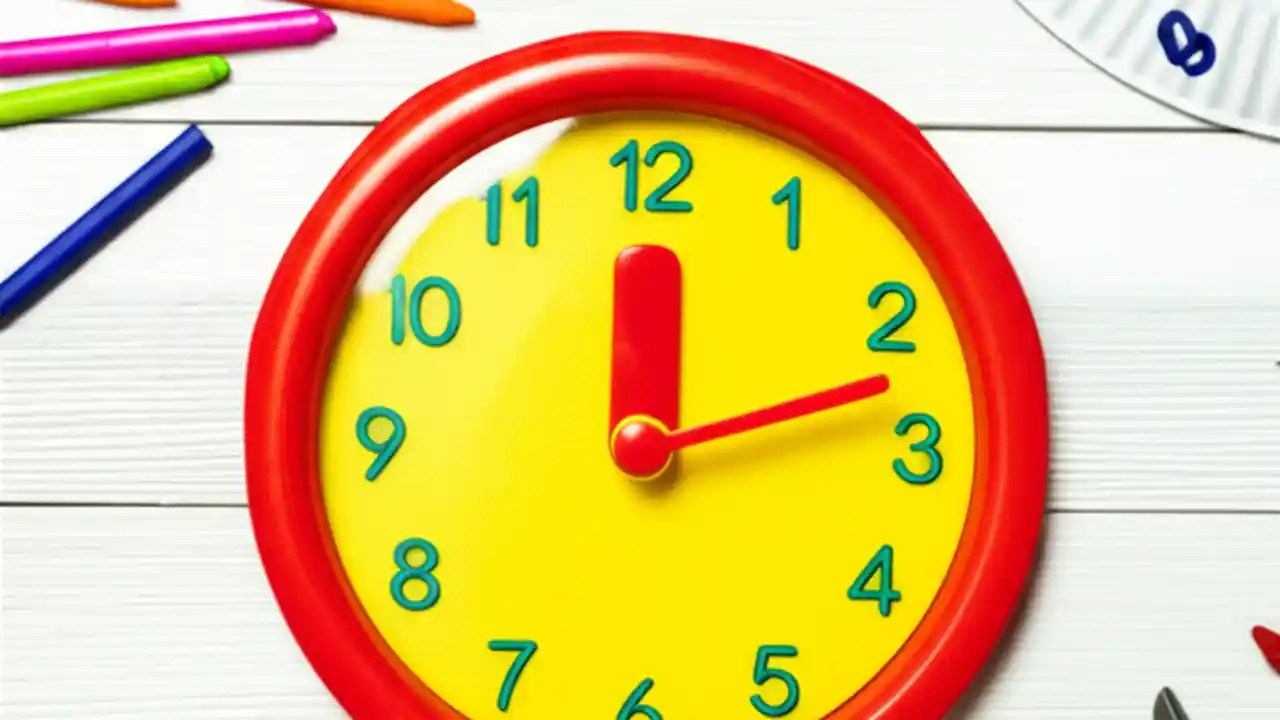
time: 12:12
